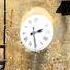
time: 2:29
